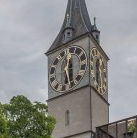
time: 12:28
